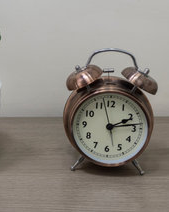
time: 2:13
